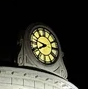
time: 7:46
